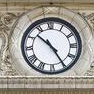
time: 10:24
